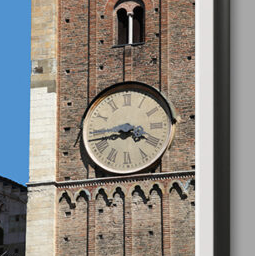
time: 3:43
